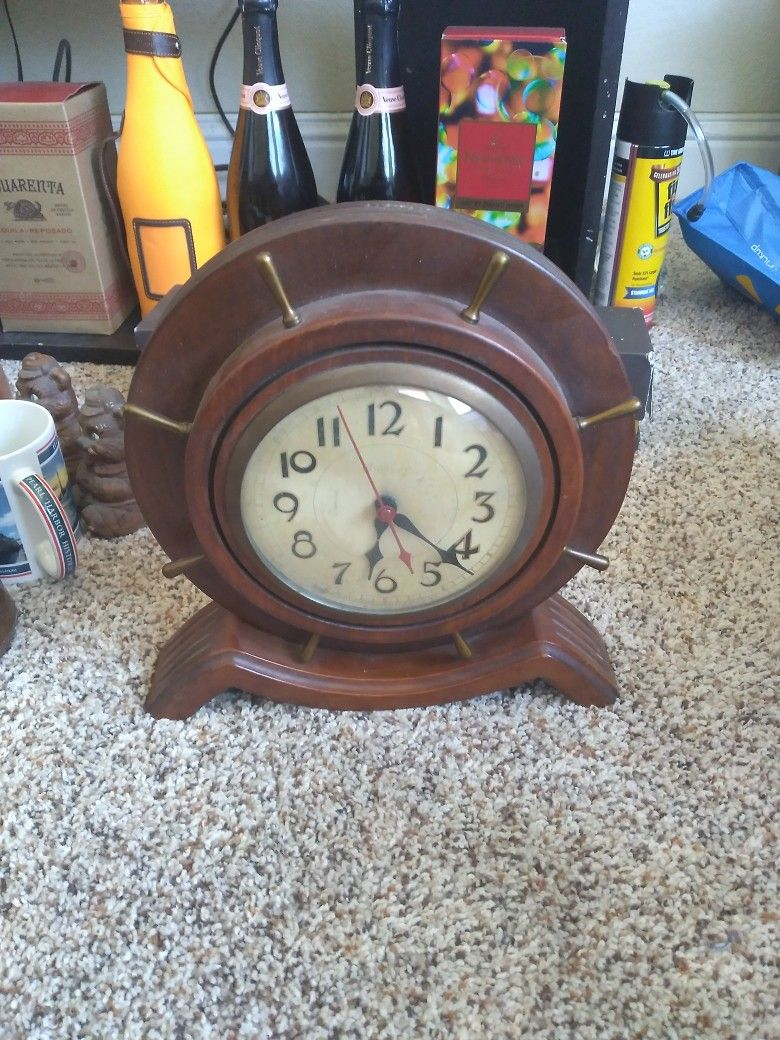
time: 6:21
